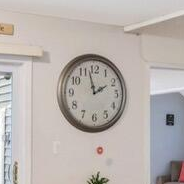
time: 1:57
